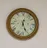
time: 12:26
